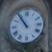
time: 10:54
